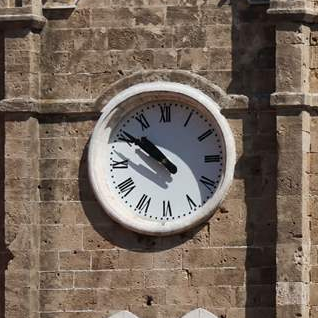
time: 10:51
